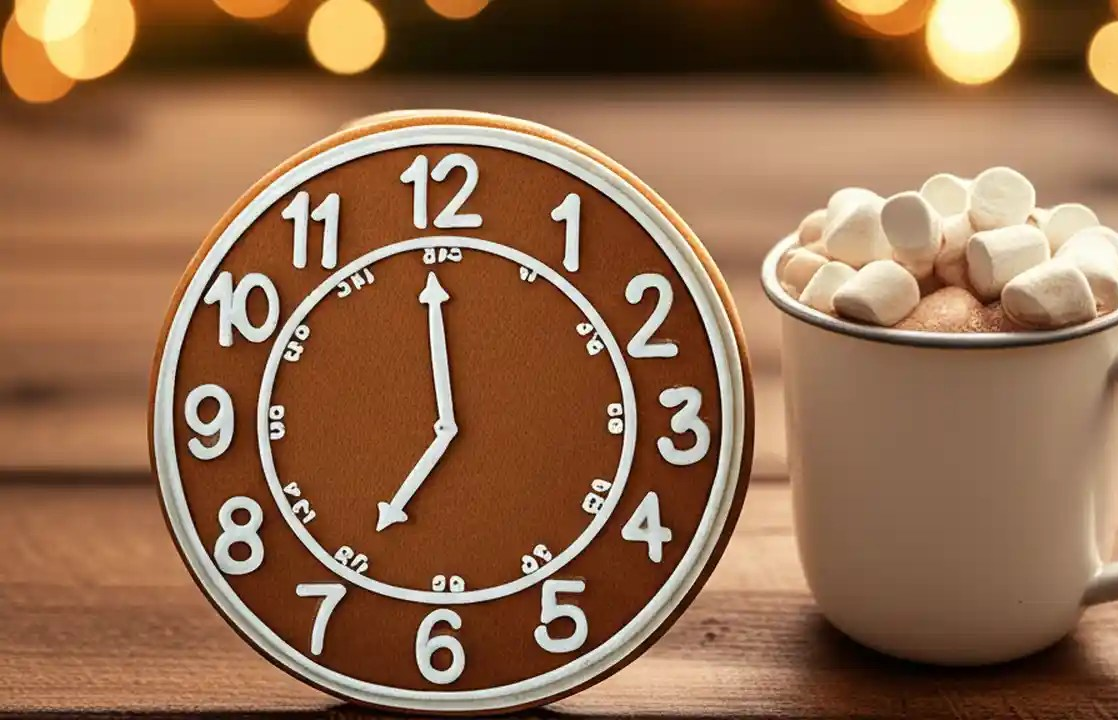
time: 6:59
